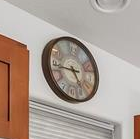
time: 4:44
